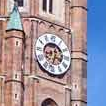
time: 3:32
